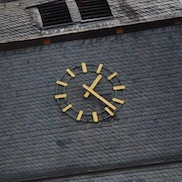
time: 1:22
